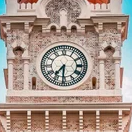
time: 7:31
